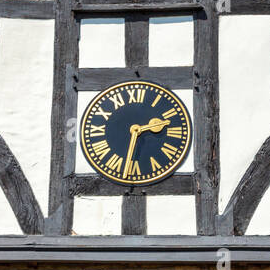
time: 2:32
